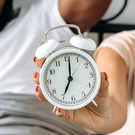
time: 7:01
